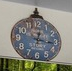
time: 12:16
